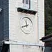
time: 11:40
